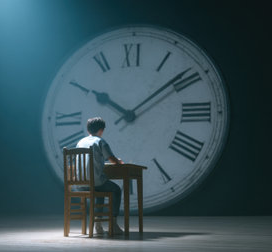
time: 10:08
